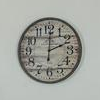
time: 2:00
